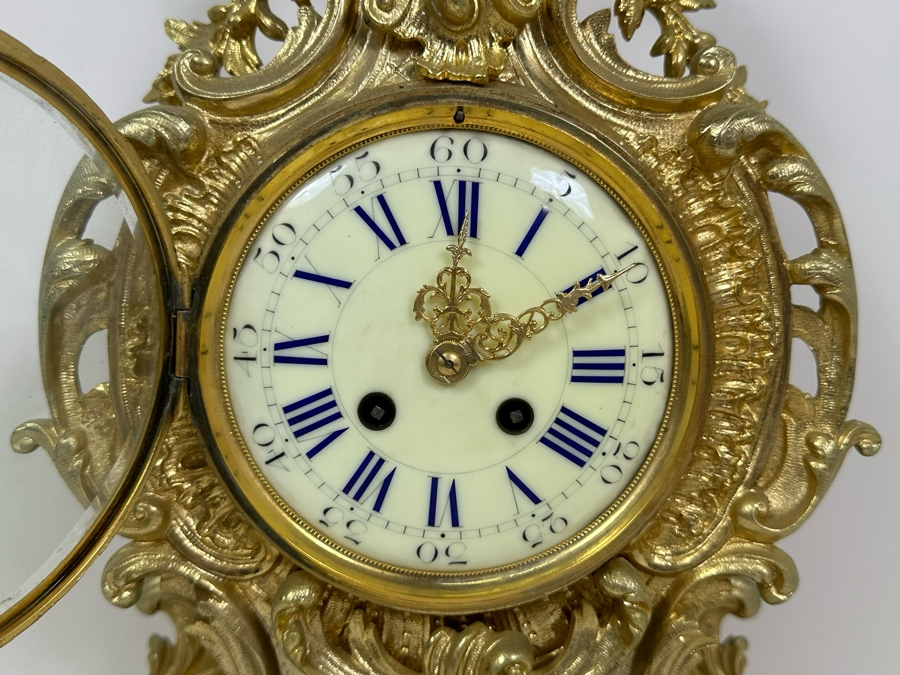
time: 12:09
